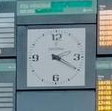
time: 2:20
